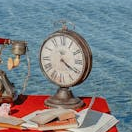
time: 4:20
